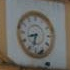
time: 8:32
